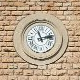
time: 11:13
